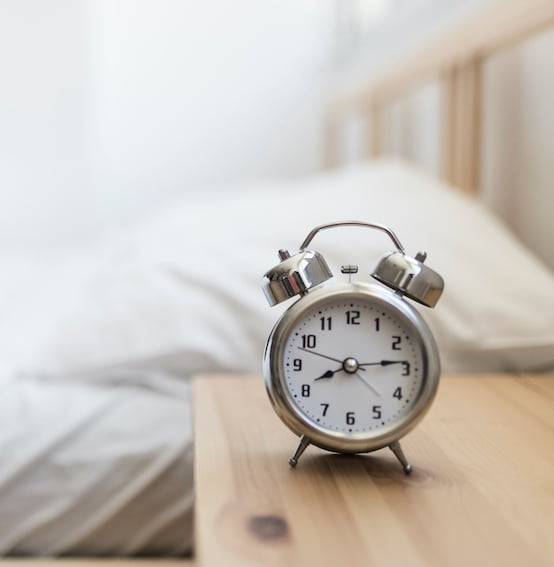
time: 8:14
